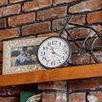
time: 11:21
